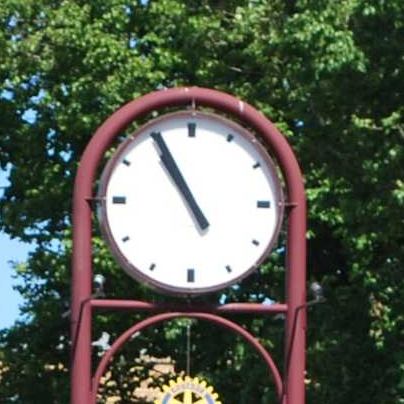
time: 10:55
